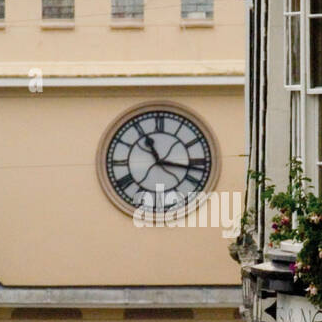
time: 11:16
